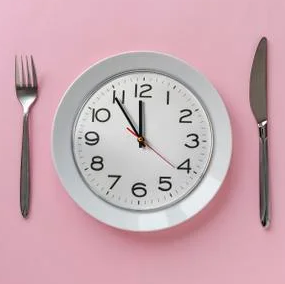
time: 11:54
